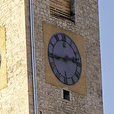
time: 2:43
